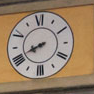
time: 8:41
